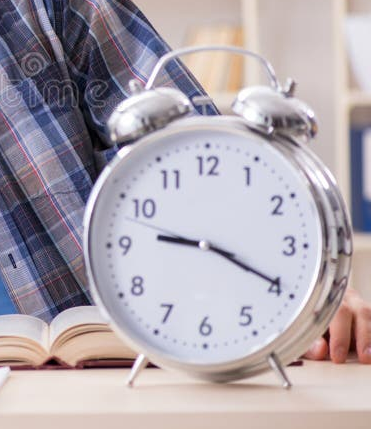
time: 9:19
